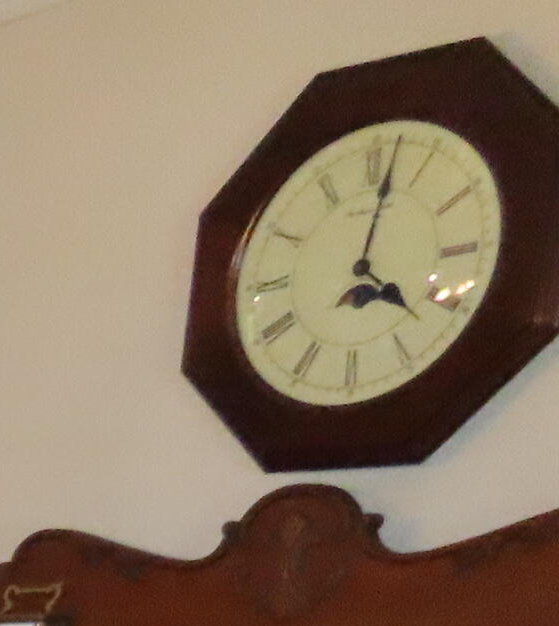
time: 4:01
